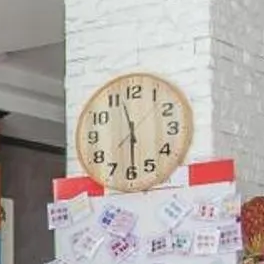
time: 11:29
